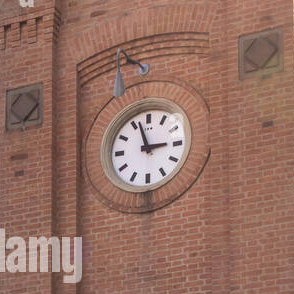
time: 2:56
